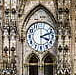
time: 4:12
